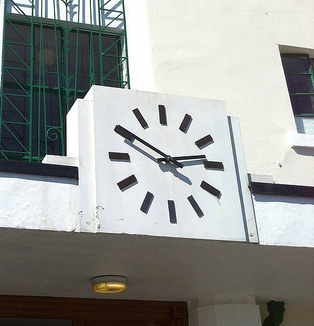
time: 2:50
